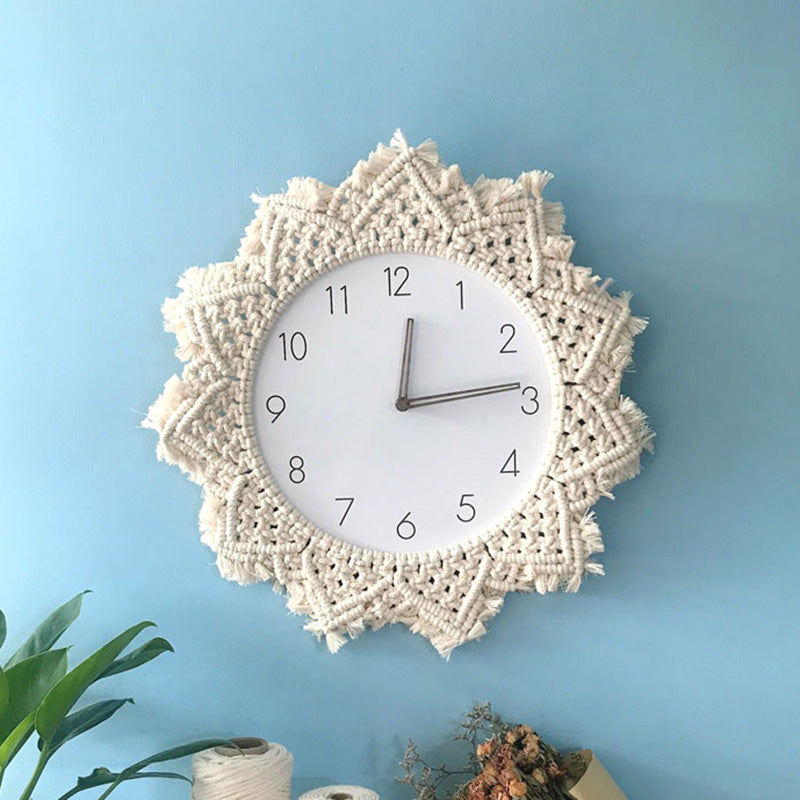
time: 12:14
